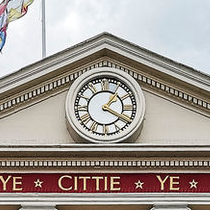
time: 1:20
